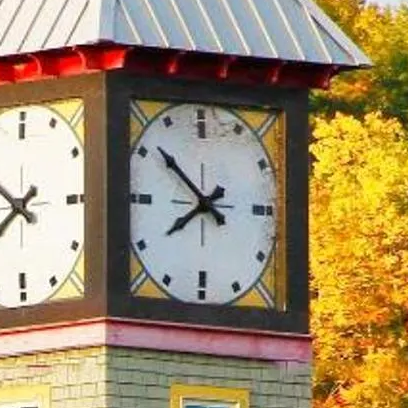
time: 7:51
